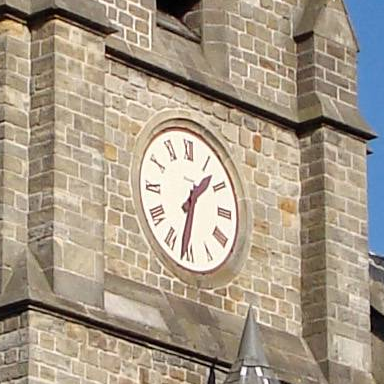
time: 1:32
